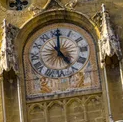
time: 5:00
